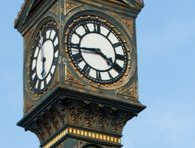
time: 3:43
